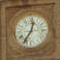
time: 12:35
